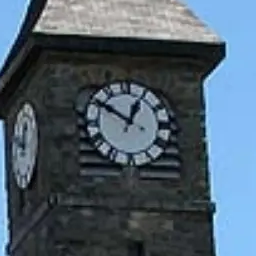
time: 12:50
